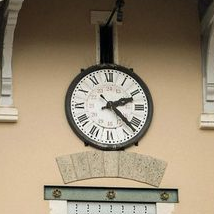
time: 2:22
